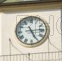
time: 5:14
